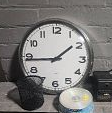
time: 1:44
